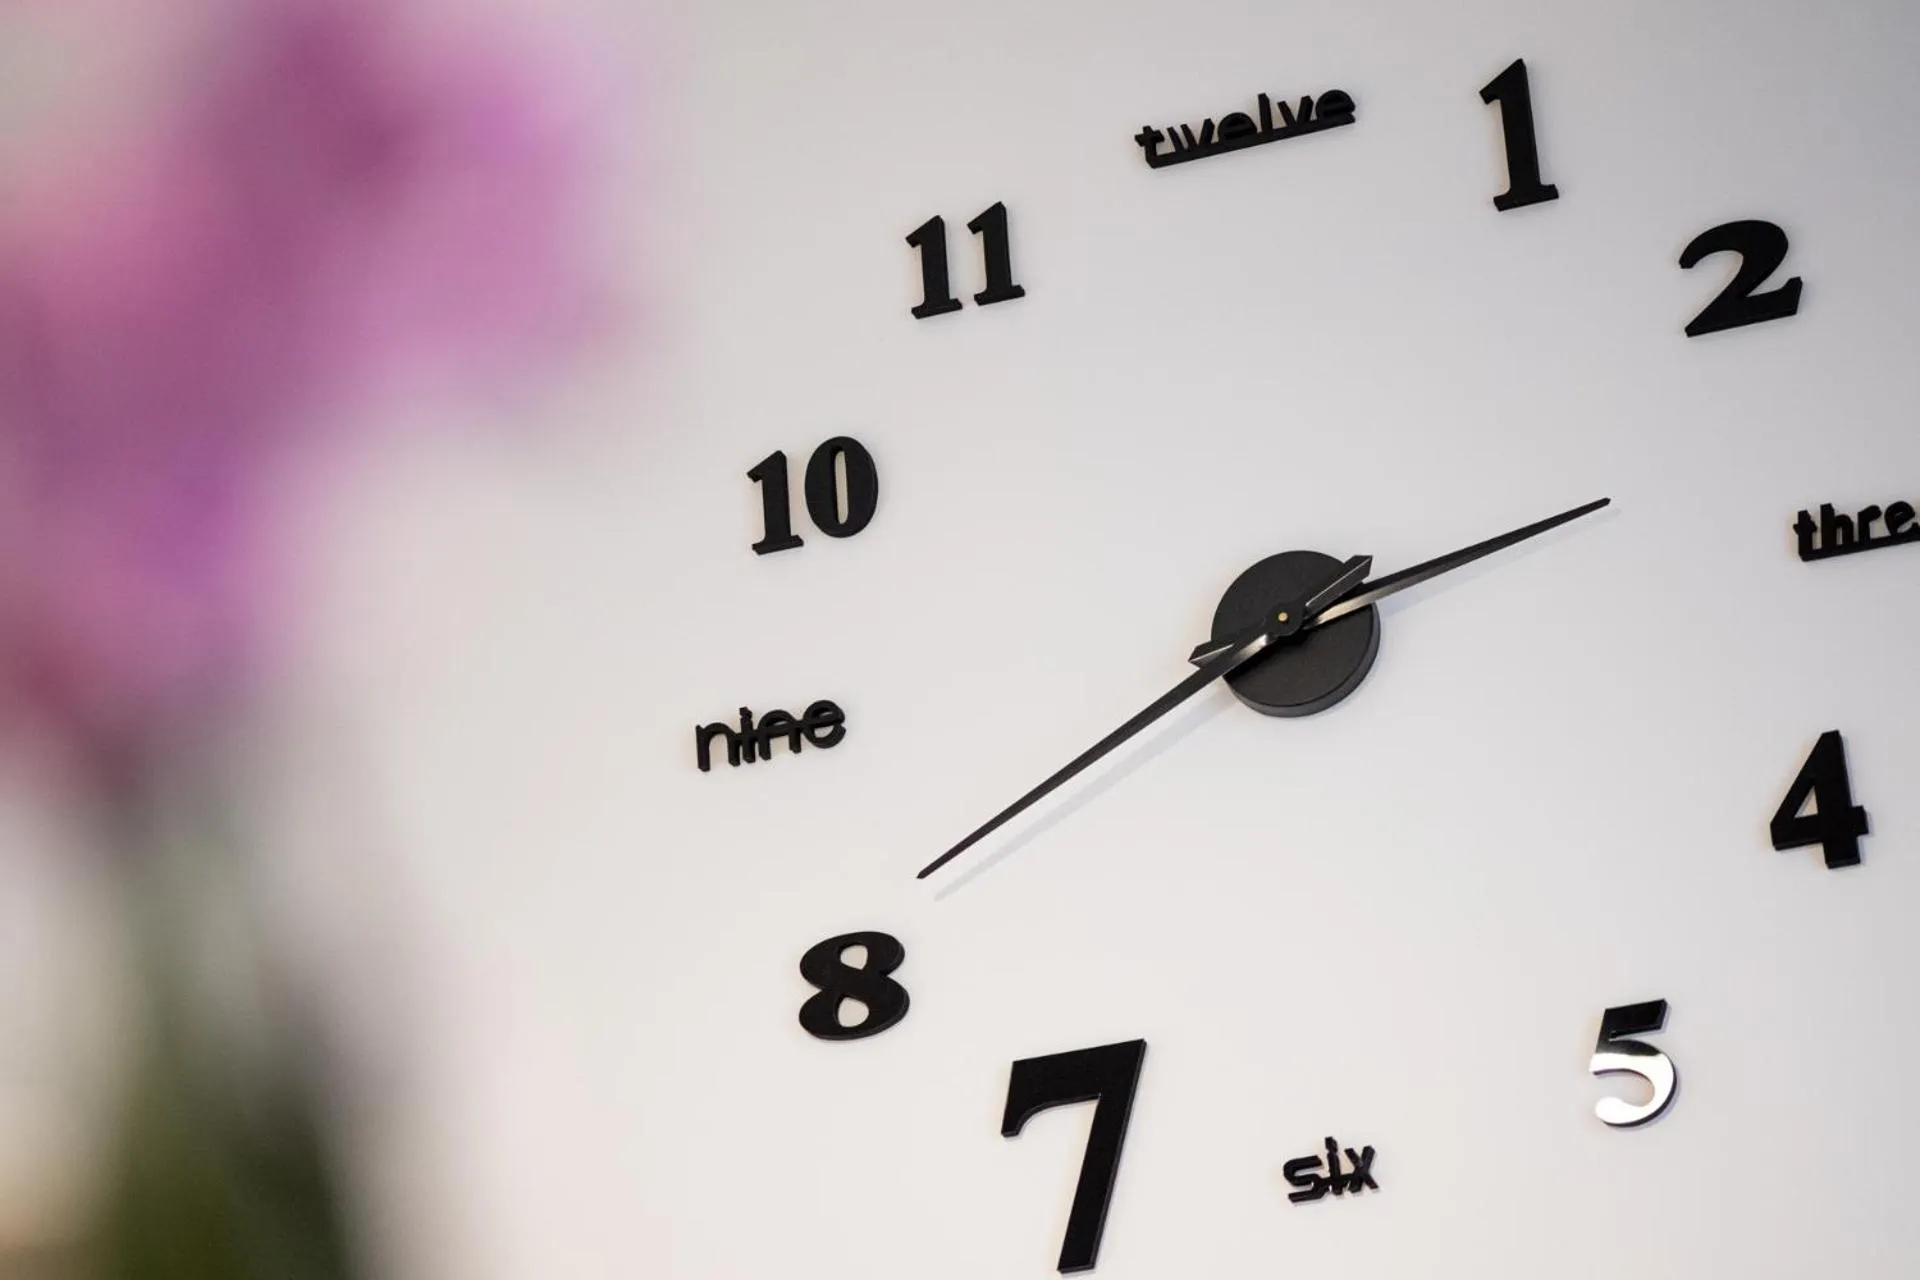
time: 2:40
